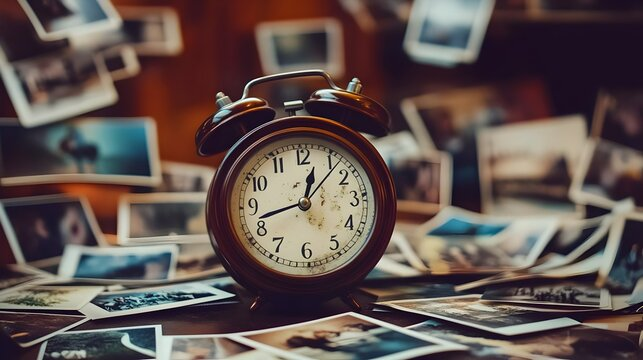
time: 12:42
